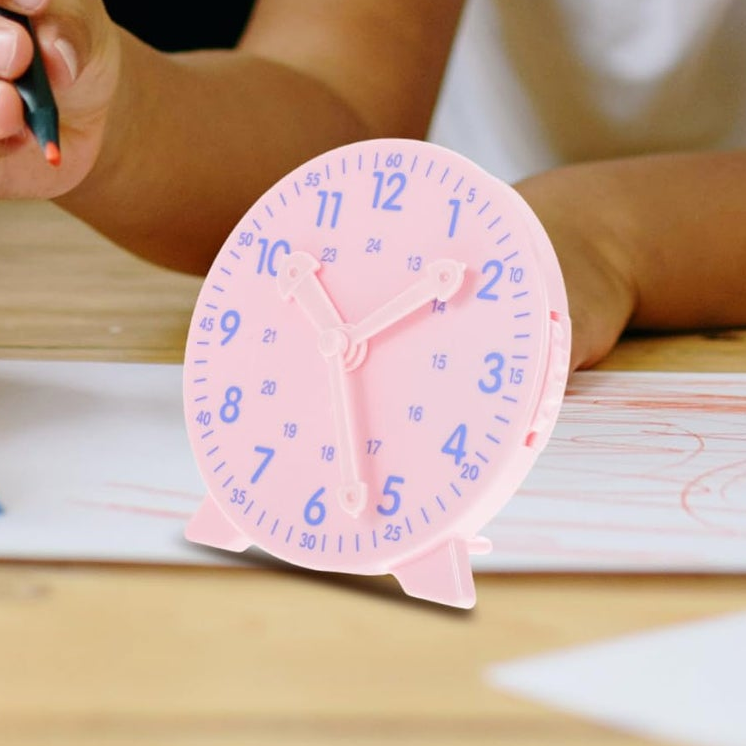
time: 5:09
